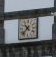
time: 10:37
